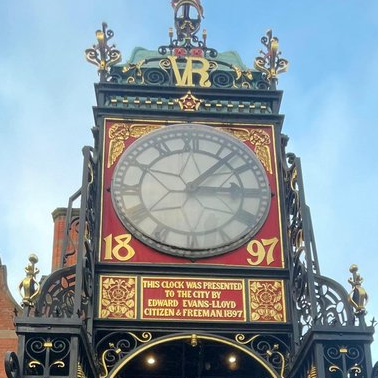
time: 3:07
